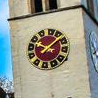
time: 10:07
